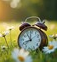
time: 7:54
